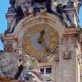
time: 12:23
